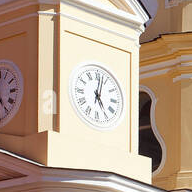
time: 5:01
